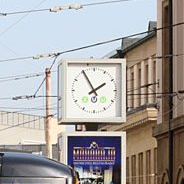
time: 1:55
